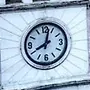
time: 8:02
